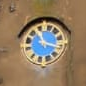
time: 11:17
